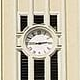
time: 2:45
